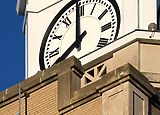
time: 7:59
